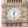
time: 12:28
